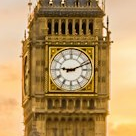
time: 9:11
